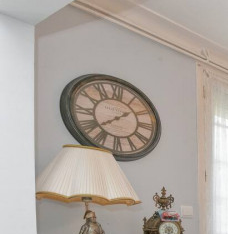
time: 1:38
